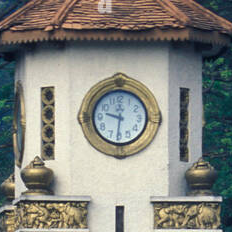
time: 9:30
